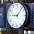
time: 9:07
